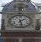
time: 1:28
